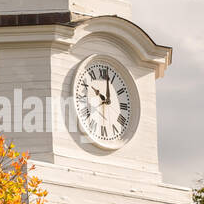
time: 10:01
